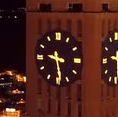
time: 9:28
